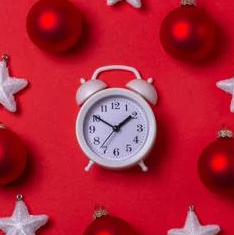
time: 1:50
